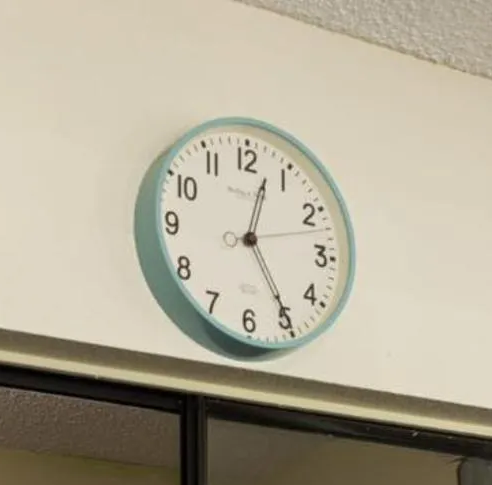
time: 12:24
